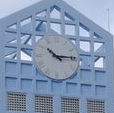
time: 10:14
